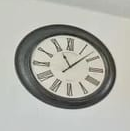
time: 11:07
